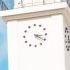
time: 3:21
